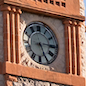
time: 5:14
